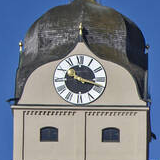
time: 11:18
